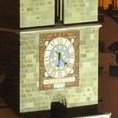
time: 6:21
